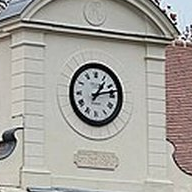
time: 1:12
